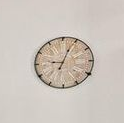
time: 9:04
